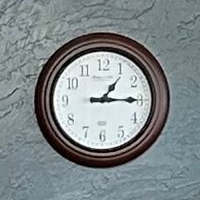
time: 1:14
